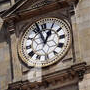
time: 12:57
